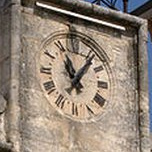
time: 11:05
